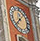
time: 1:37
